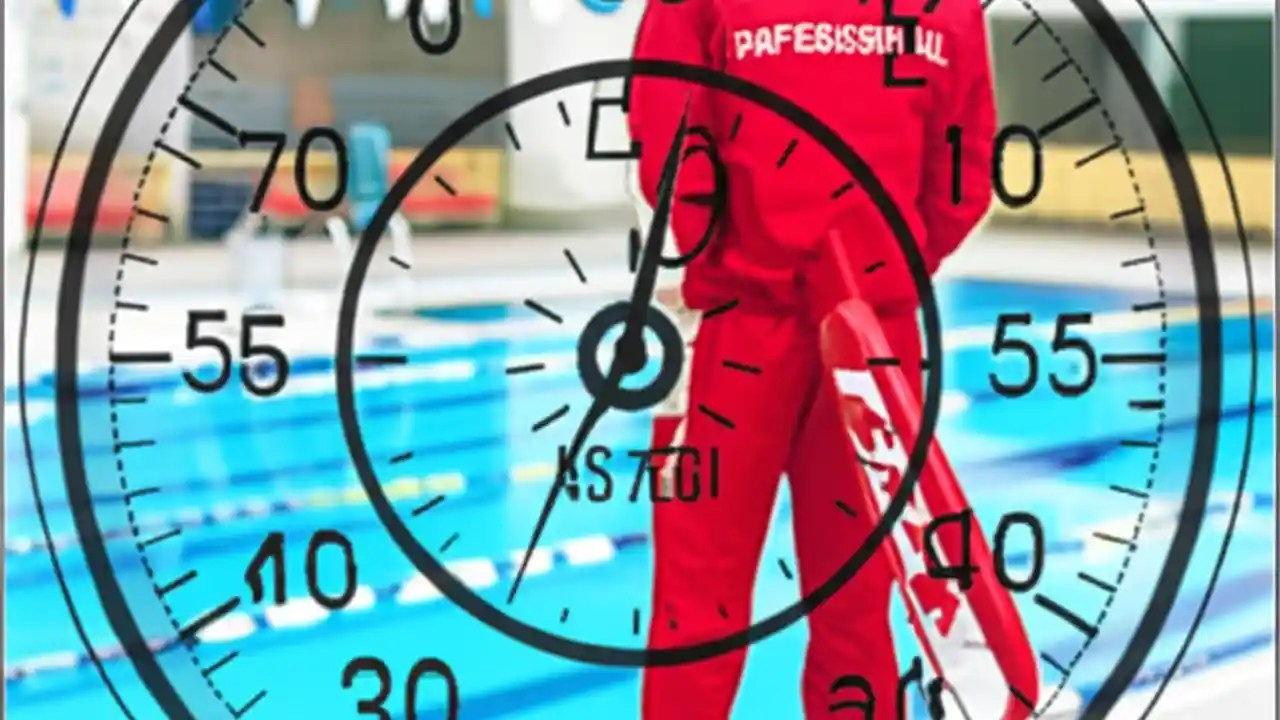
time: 12:34
